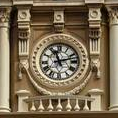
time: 11:12
